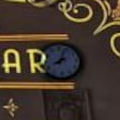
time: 8:03
